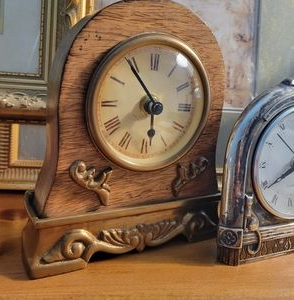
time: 5:53
